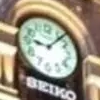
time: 9:07
